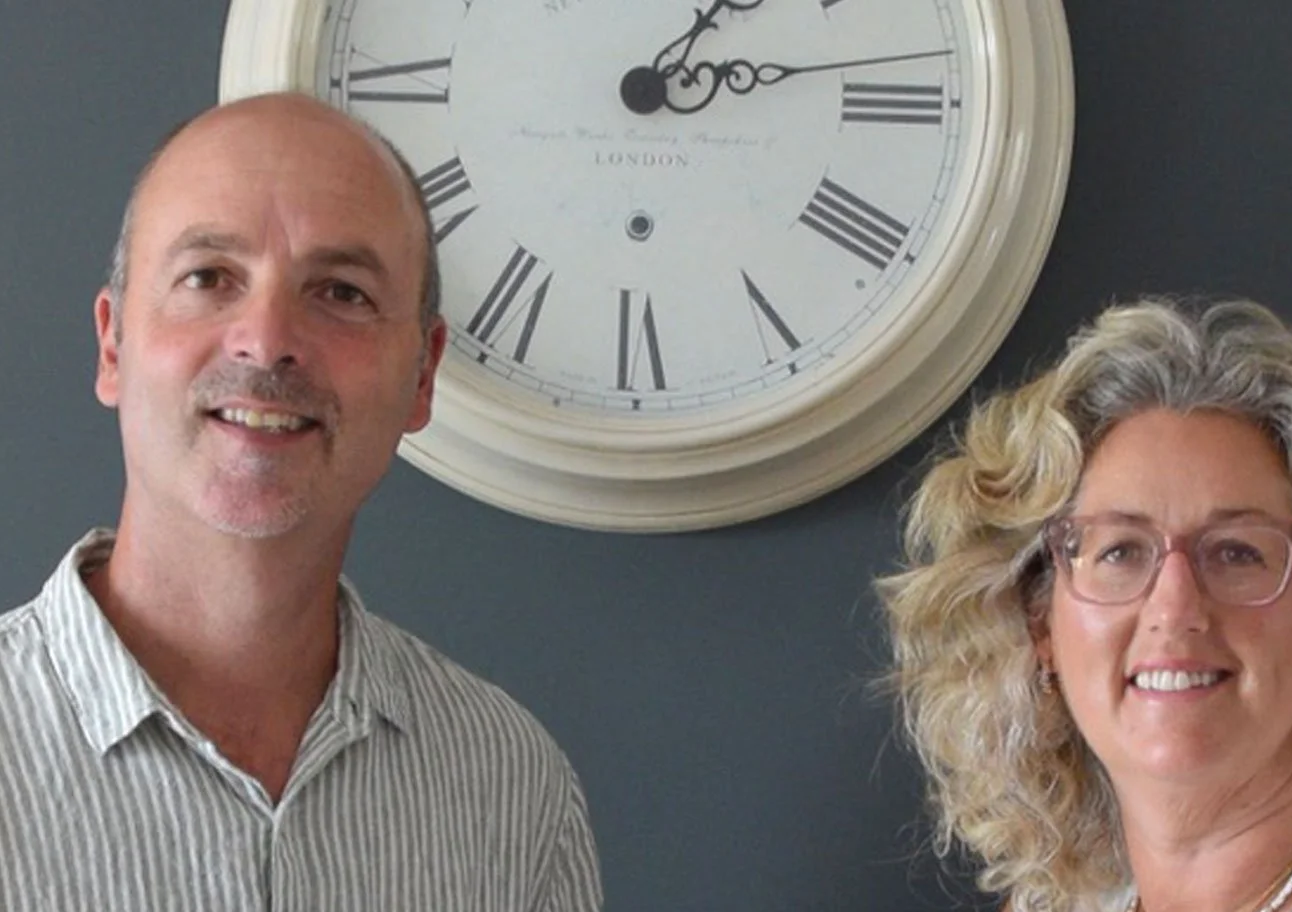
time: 1:13
